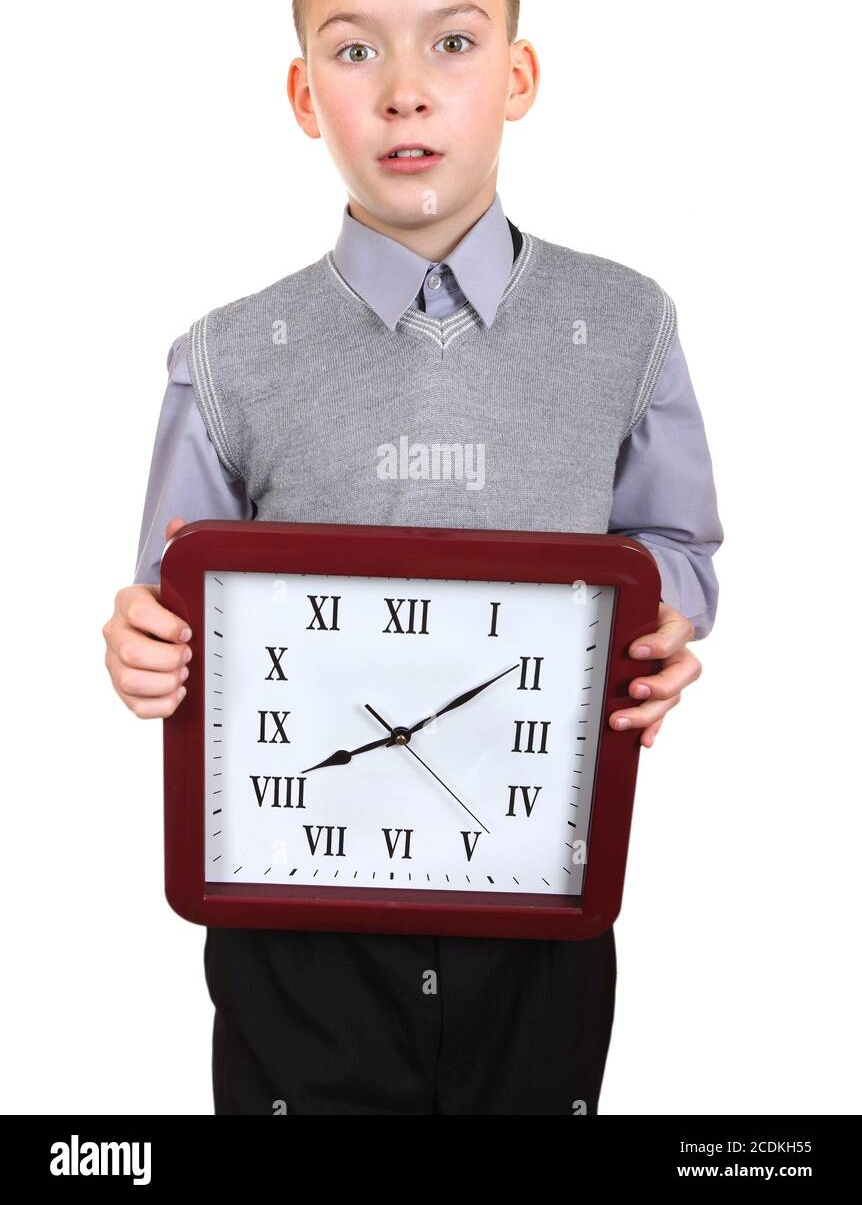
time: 8:09
